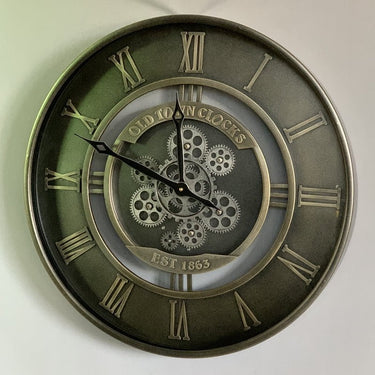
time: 11:48
